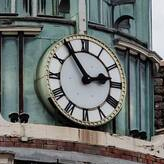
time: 2:54
